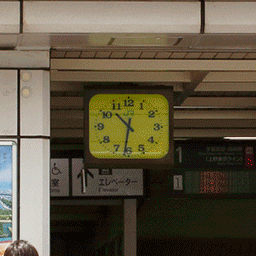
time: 10:31
